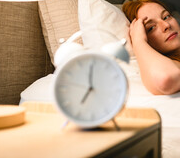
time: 6:58
